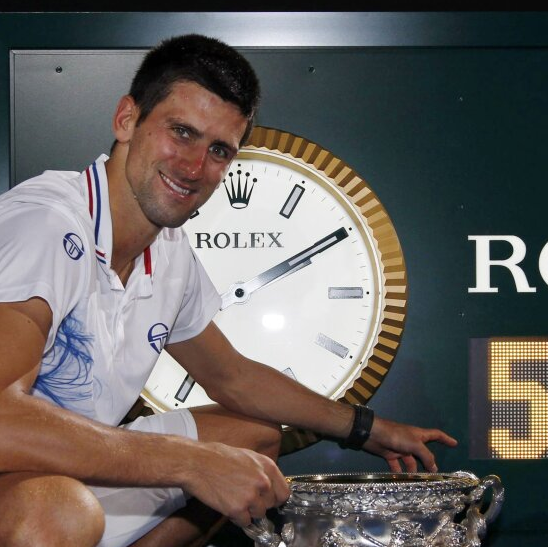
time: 2:09
